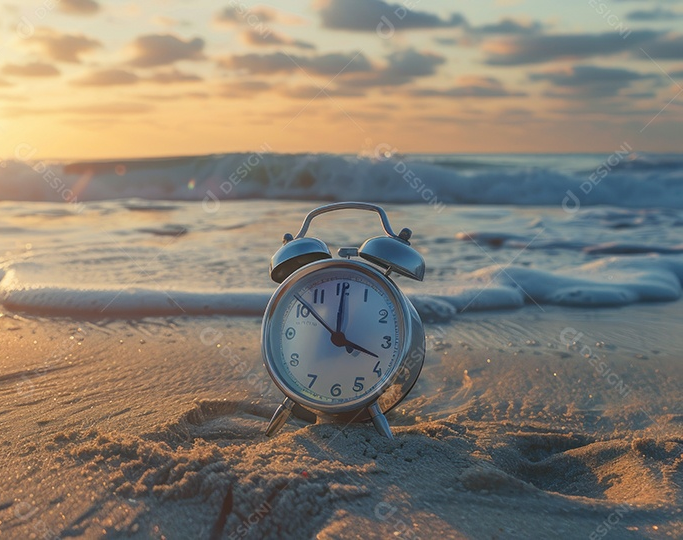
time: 3:51
